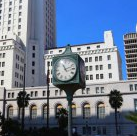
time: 11:12
